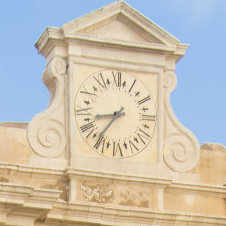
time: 8:36
